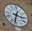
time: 3:32
